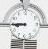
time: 8:45
